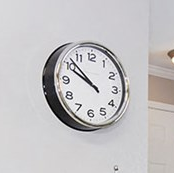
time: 9:51
